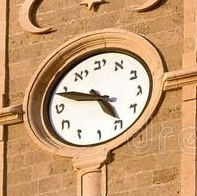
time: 4:48
